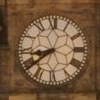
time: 8:38
